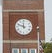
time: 11:48
